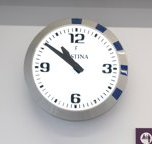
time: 10:51
